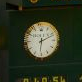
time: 6:11
